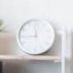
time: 11:44
